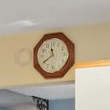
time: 11:39
